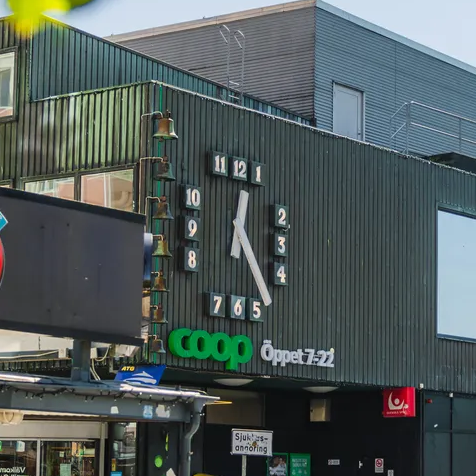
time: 12:23
